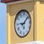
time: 9:08
